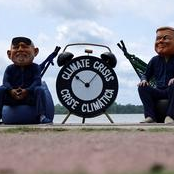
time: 10:07
